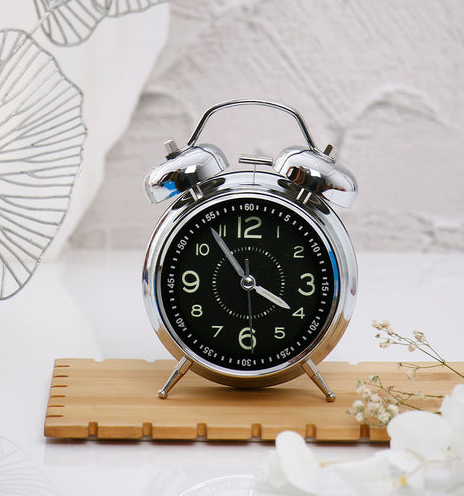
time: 3:54
